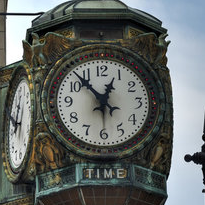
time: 12:52
